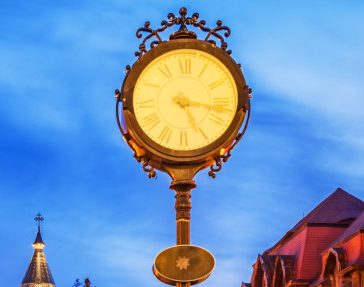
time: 5:17
